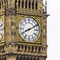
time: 8:10
